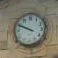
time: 9:49
